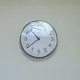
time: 10:38
